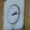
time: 2:13
